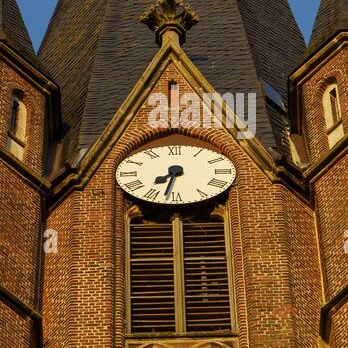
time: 7:32
